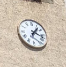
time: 1:18
